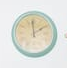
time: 1:59
